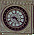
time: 9:23
